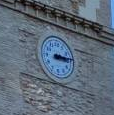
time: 3:14
